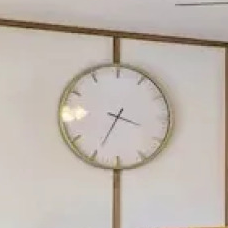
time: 3:34
